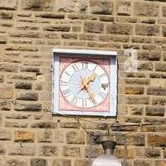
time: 1:24
